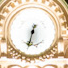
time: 6:32
